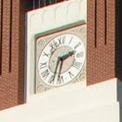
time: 2:33
